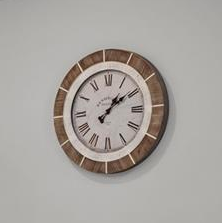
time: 1:09
